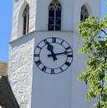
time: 11:12
